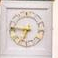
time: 6:46
